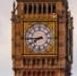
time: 7:44
